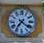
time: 7:21
